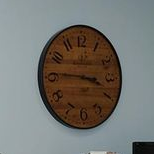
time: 3:45
